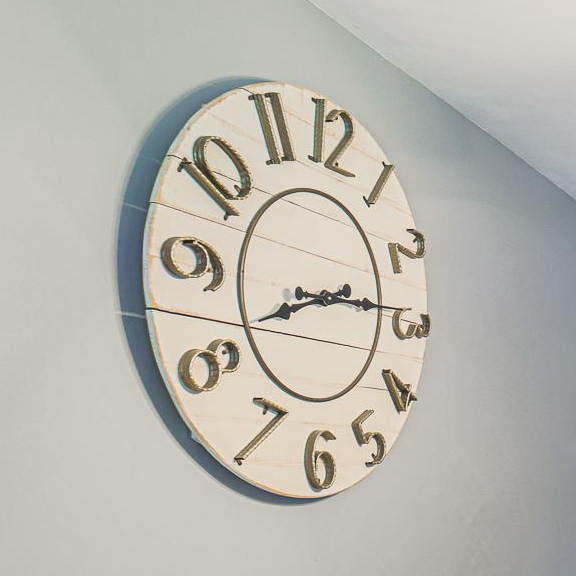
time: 8:14
